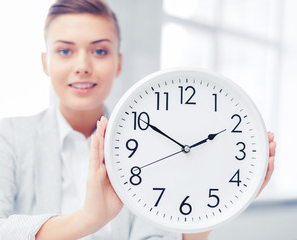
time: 1:50
